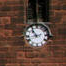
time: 10:42
